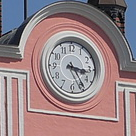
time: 3:24
